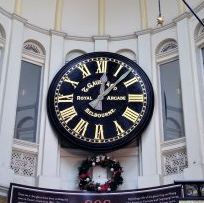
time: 12:07
